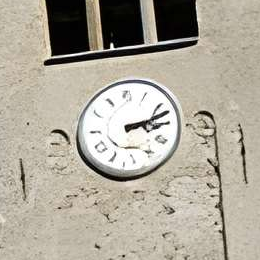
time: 3:12
